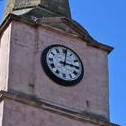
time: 3:01
